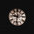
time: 9:32
